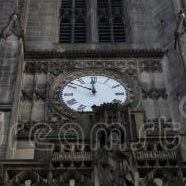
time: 11:50
